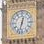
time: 12:32
